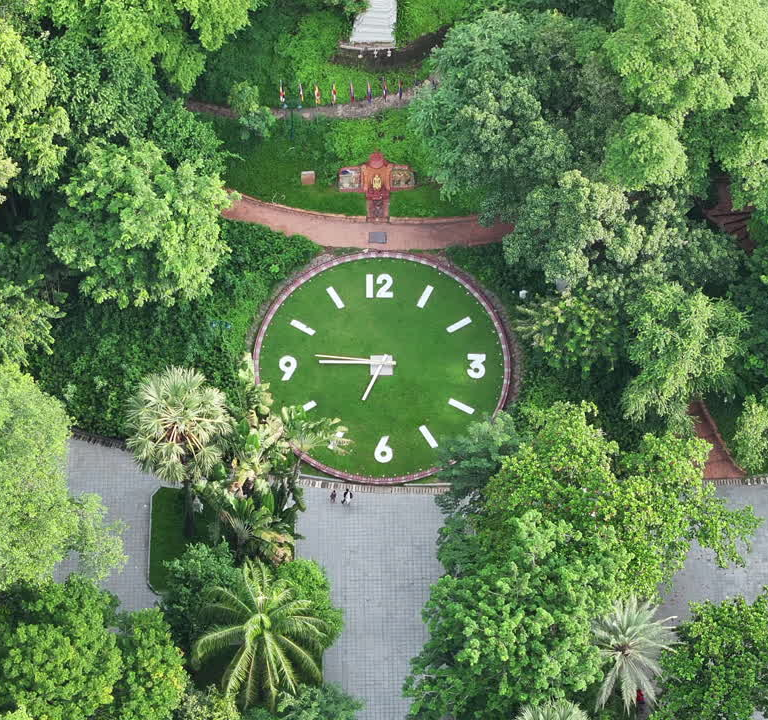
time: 6:45
